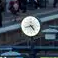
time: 4:42
